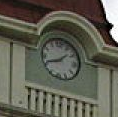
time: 1:41
